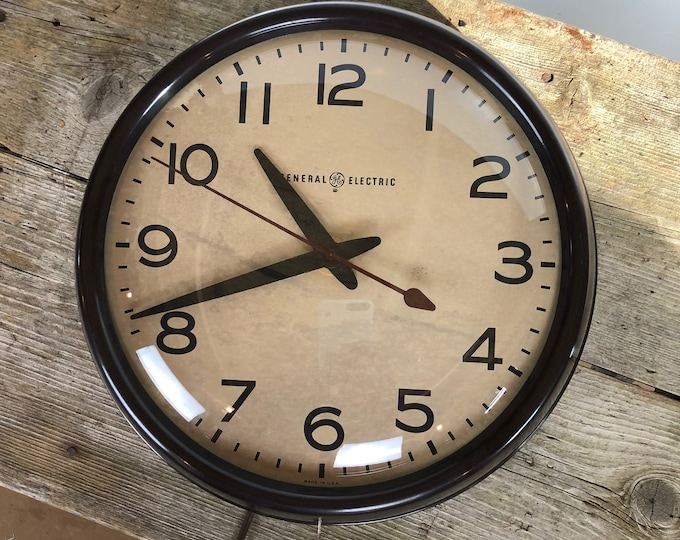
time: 10:41
